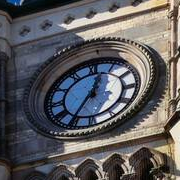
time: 12:34
